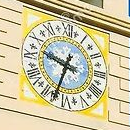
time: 9:33
